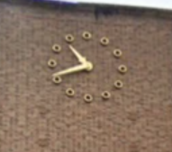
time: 10:42
